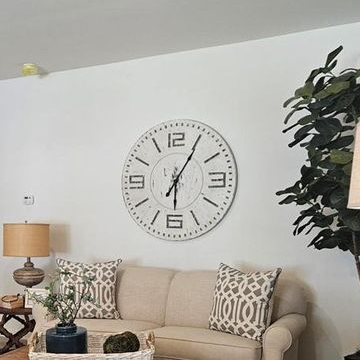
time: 6:05
